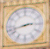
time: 2:42
